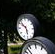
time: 5:51
